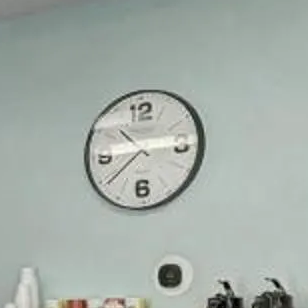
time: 10:38
